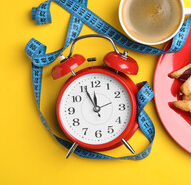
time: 11:55
